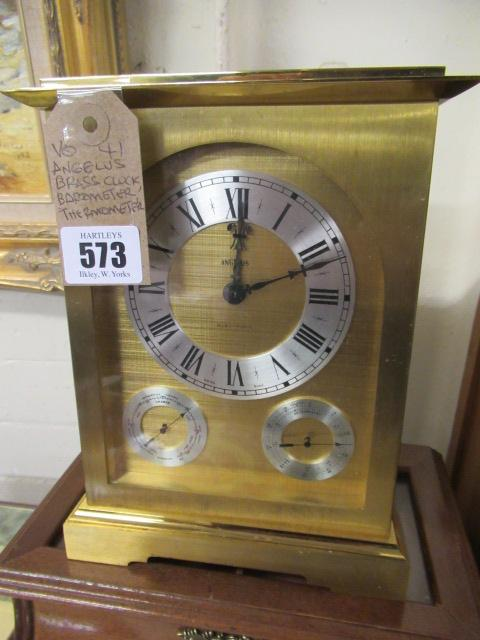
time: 12:11
